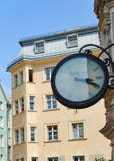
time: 3:19
